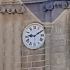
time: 9:10
